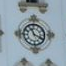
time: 11:19
